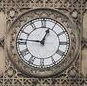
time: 12:46
